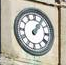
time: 1:06
